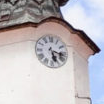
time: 5:17
